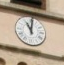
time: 11:01
